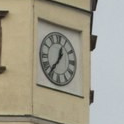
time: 12:36
